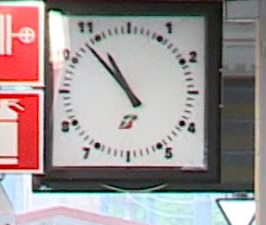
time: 10:53
